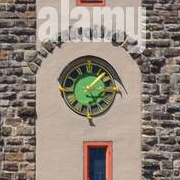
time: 5:07
